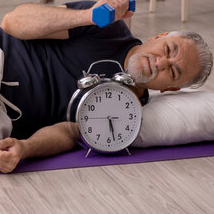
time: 5:27
